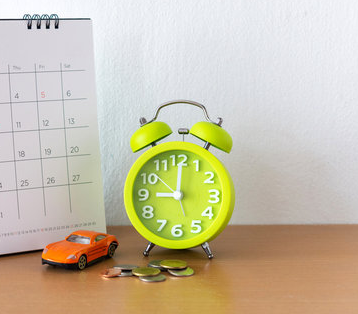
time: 9:00
